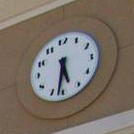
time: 5:32
